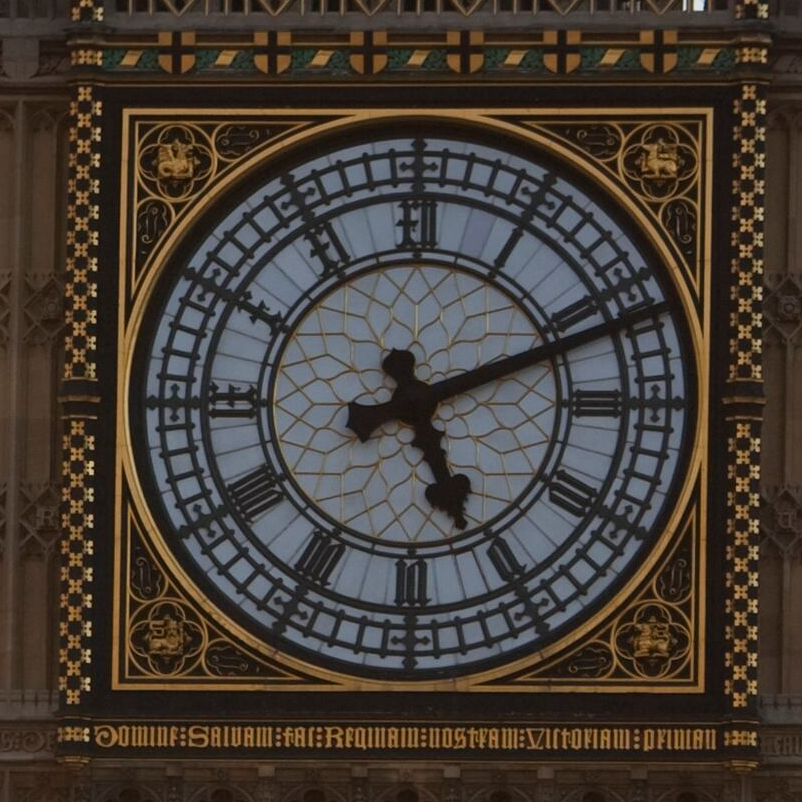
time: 5:11
